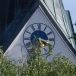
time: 5:18
